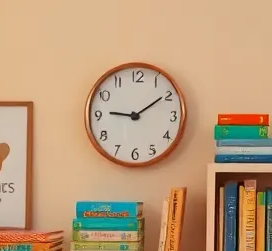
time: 9:09
